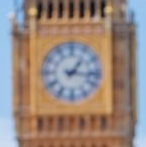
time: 1:16
